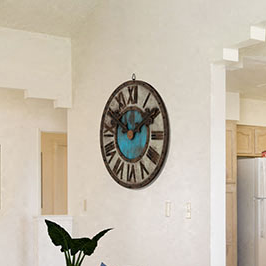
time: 1:49
